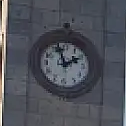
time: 1:57
